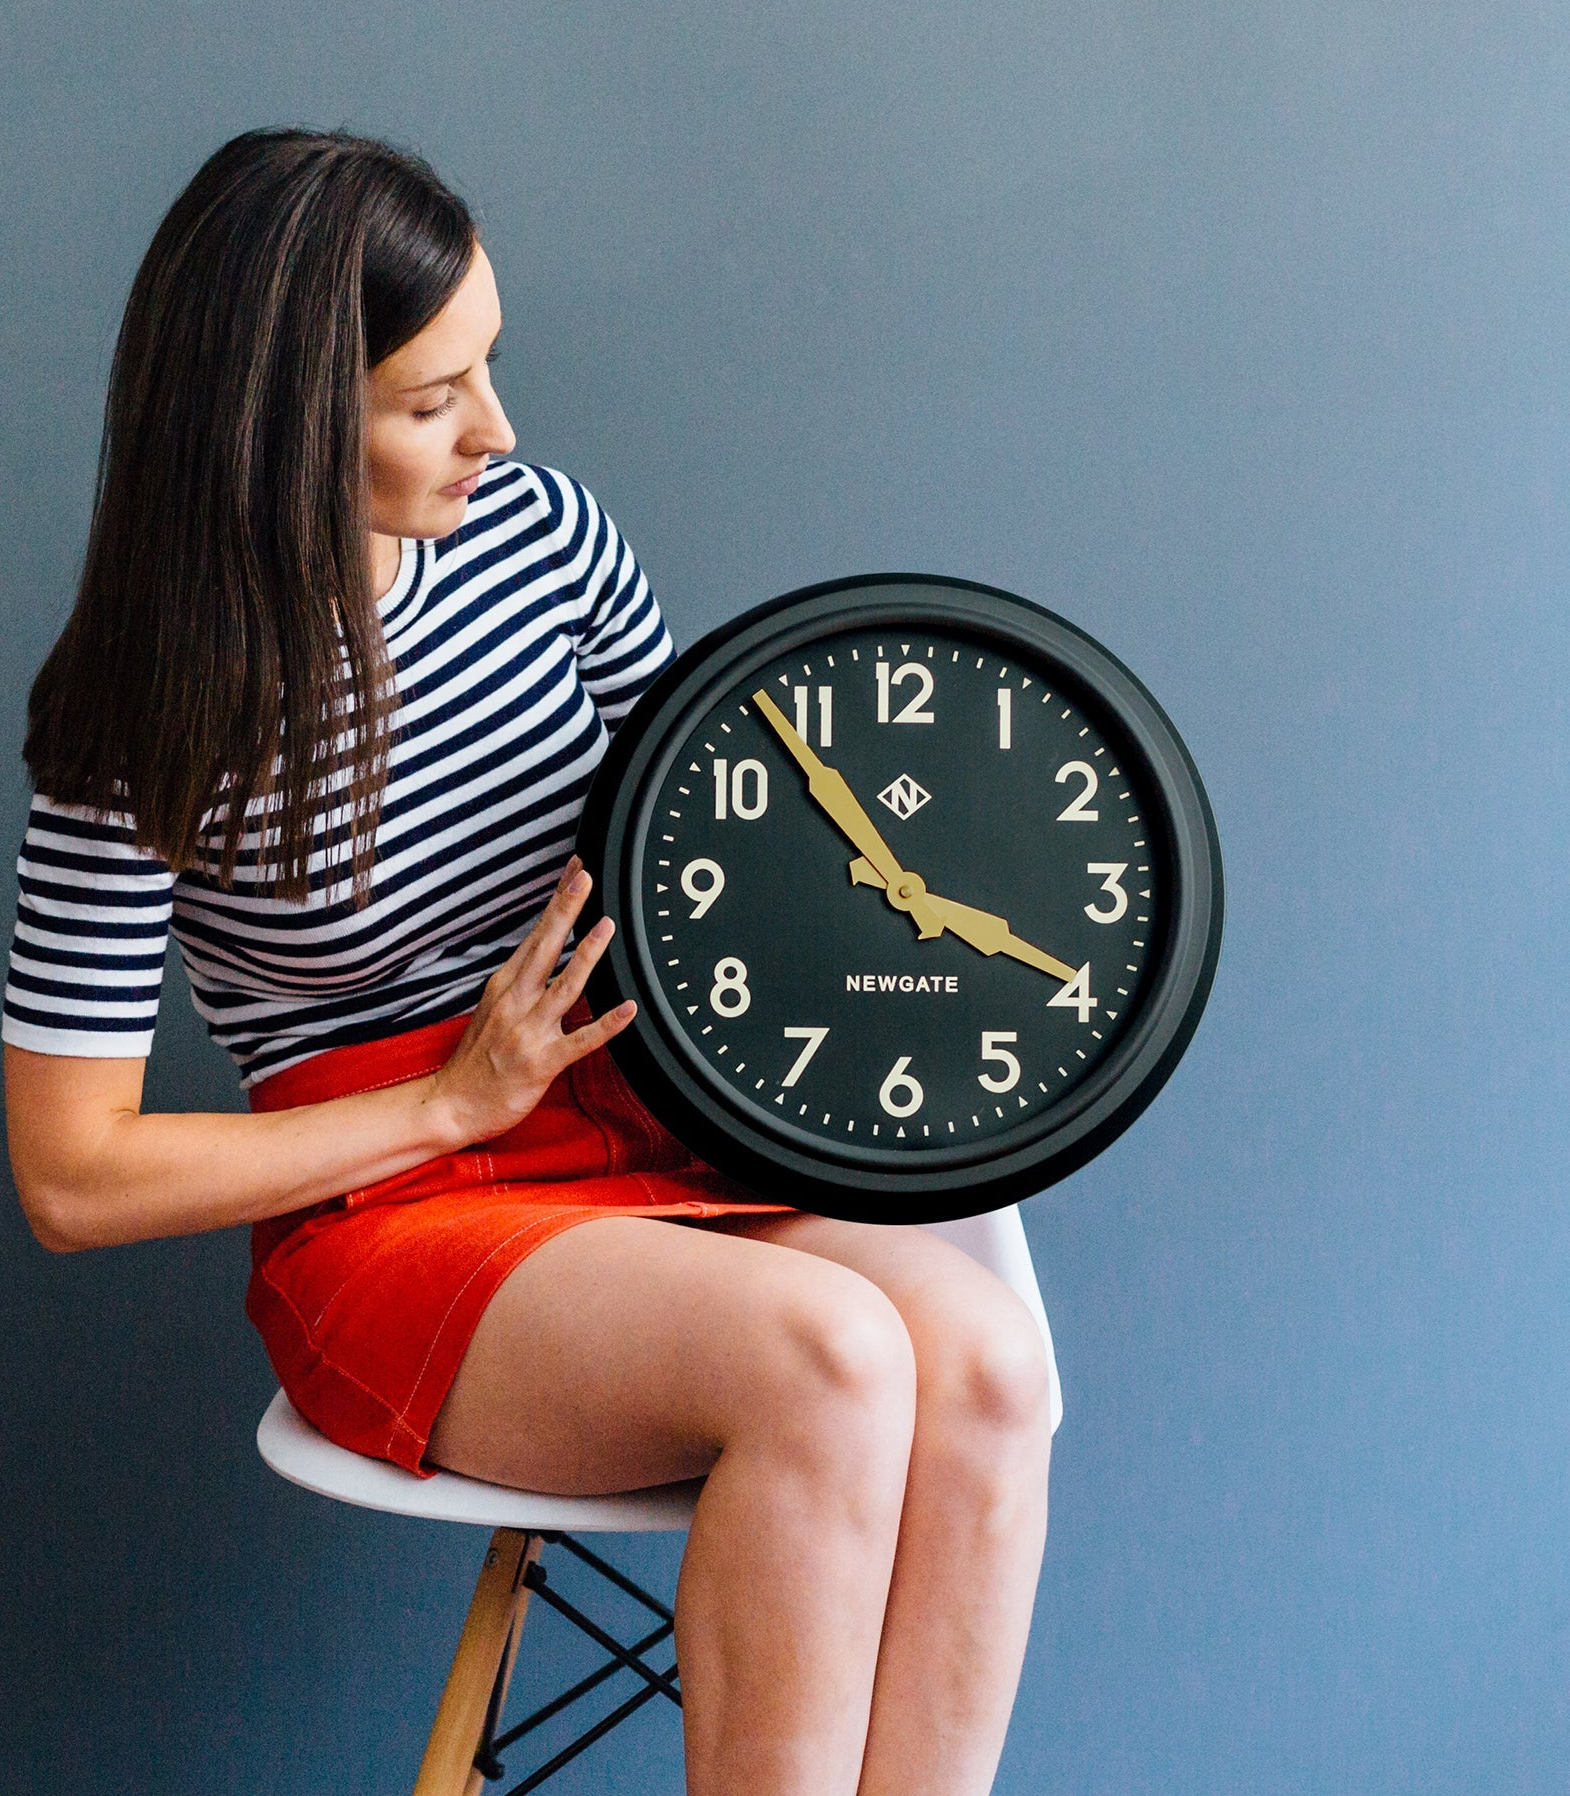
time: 3:53
